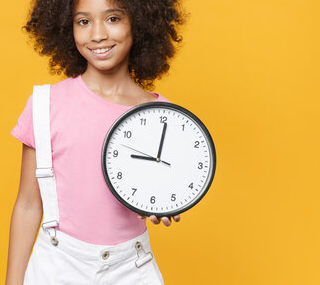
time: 9:00
